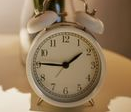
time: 1:45
